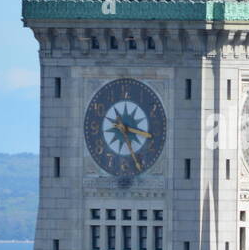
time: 3:26
